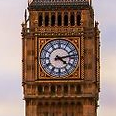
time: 4:13
